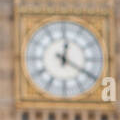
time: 12:20
